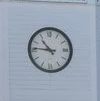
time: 10:46
